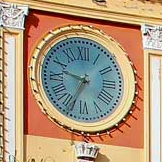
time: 9:34
